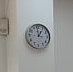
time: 12:58
